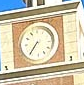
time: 7:36
